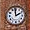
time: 1:59
